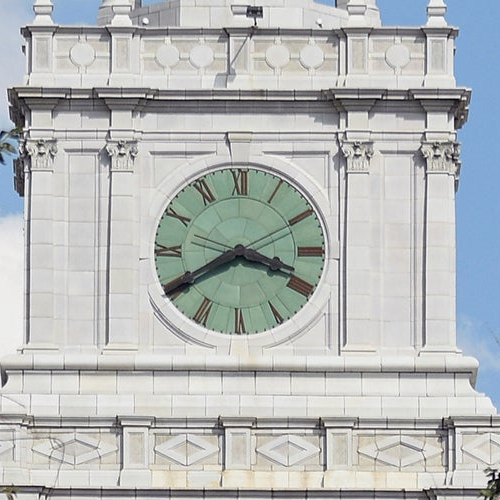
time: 3:40
